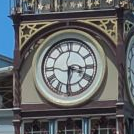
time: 3:30
